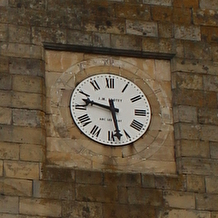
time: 9:28
